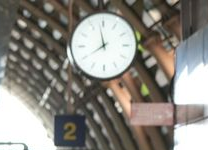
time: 7:58
